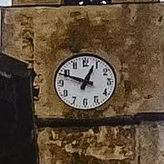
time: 12:48
